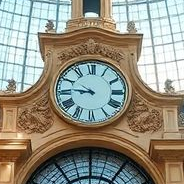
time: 8:46
